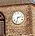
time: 2:33
